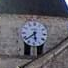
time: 5:38
